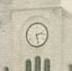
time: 2:27
